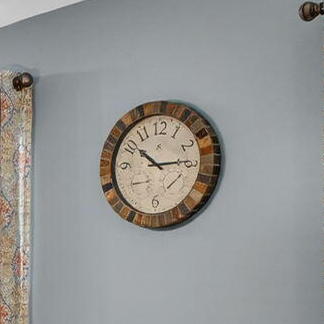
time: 10:14
